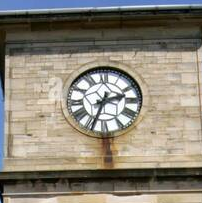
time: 2:33
